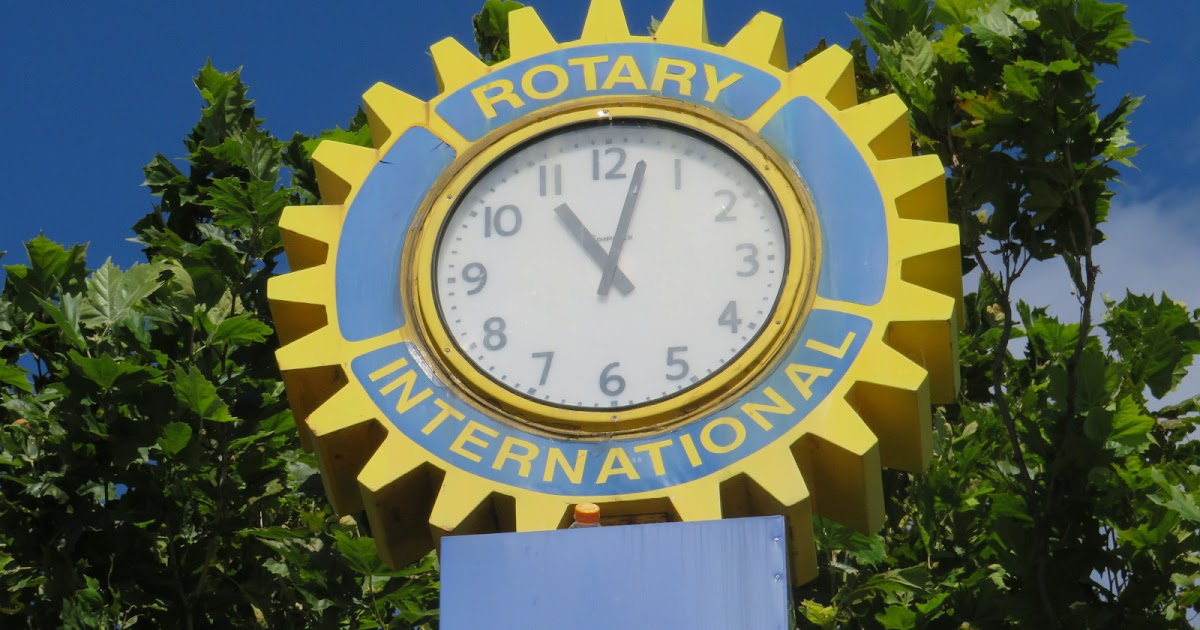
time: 11:02
